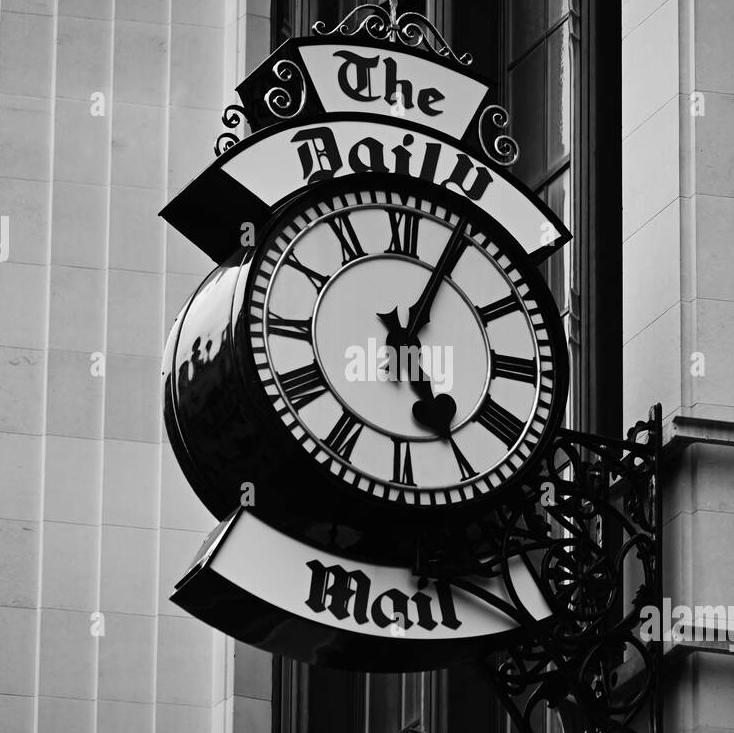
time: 5:04
